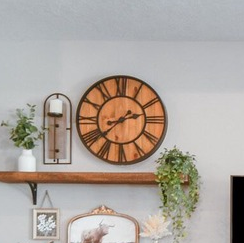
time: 2:38
